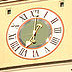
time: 1:01
